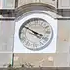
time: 3:50
